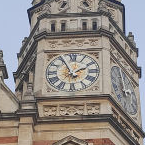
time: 1:56
